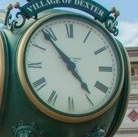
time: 4:53
